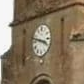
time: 3:47
